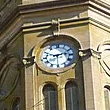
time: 9:12
